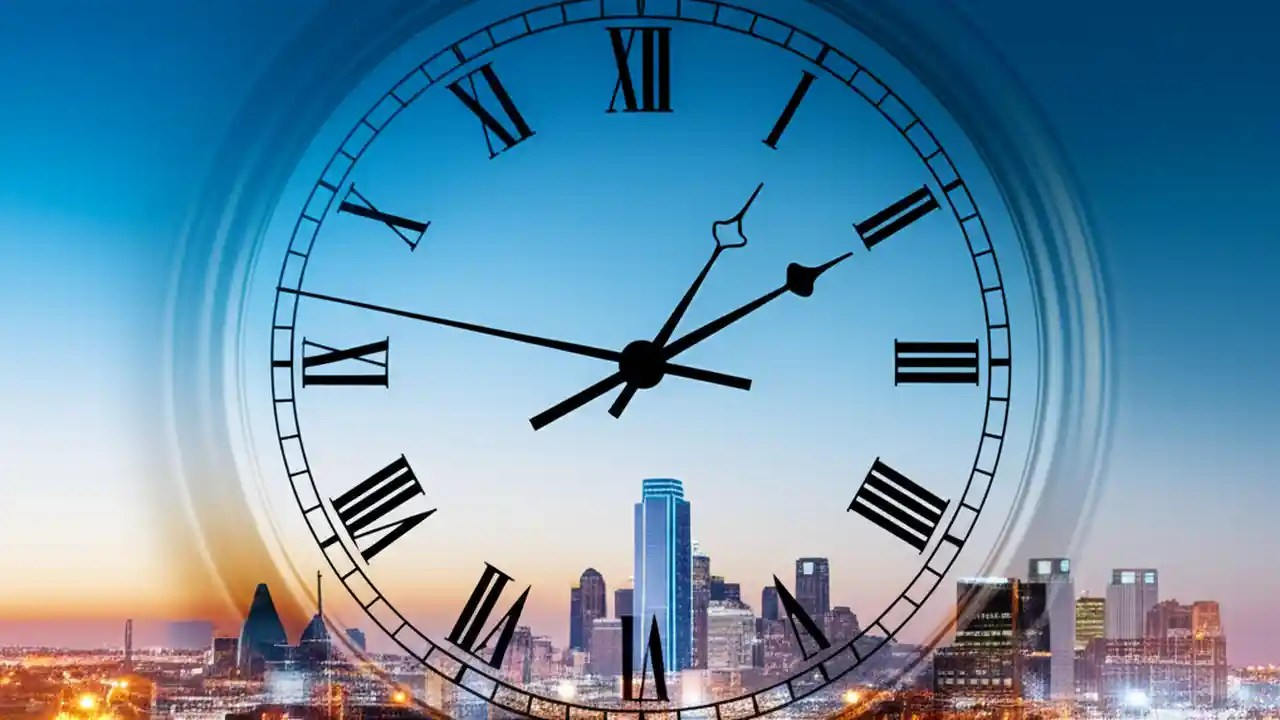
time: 1:10
